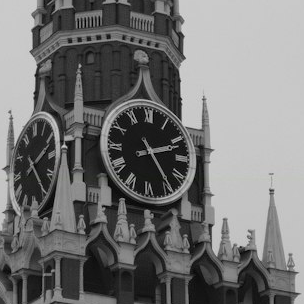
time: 2:24
